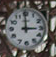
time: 2:59
